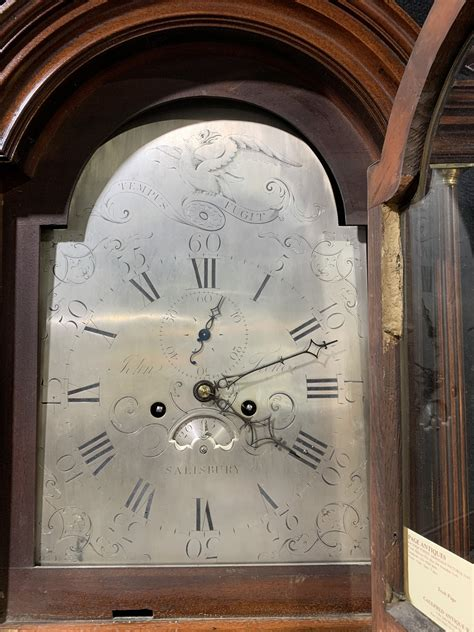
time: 4:12
